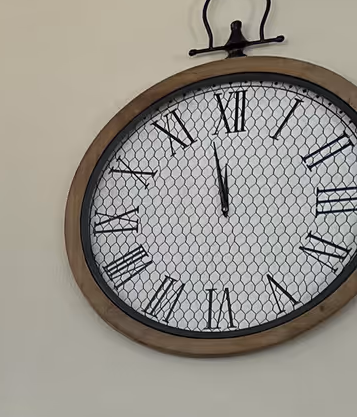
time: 11:57
